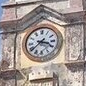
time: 3:38
